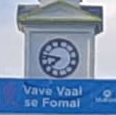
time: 7:46
